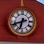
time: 6:41
